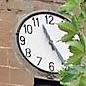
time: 11:24
